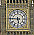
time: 5:45
